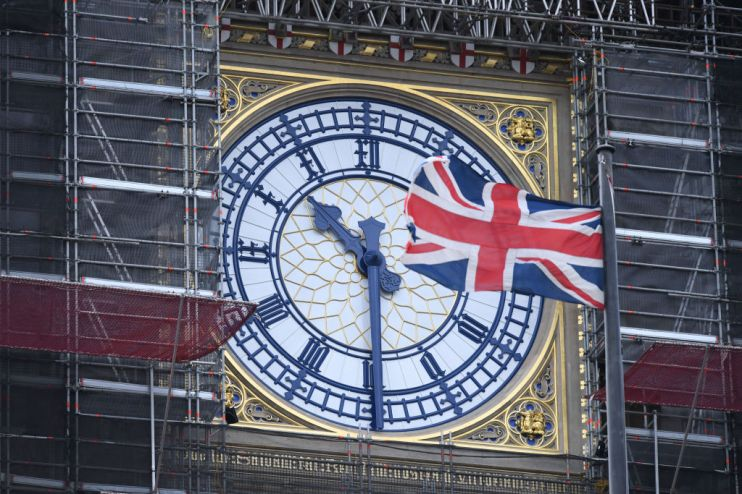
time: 10:29
